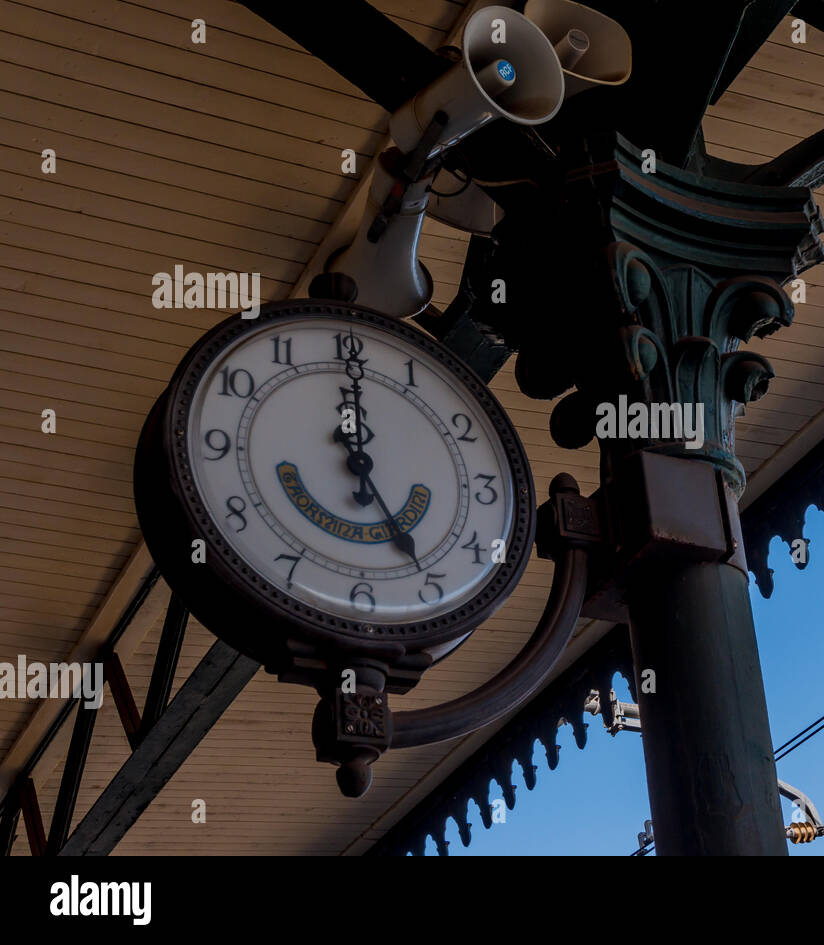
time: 5:00
